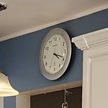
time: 4:18
